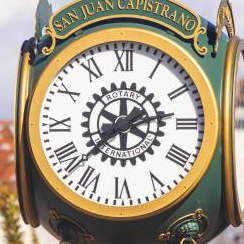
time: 2:37
